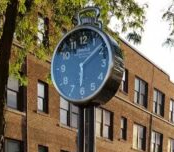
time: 6:09
